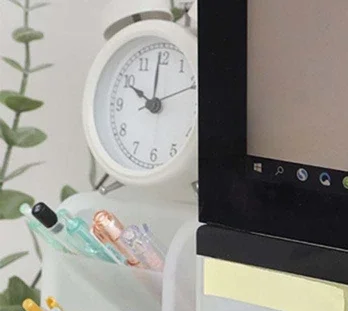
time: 10:00
